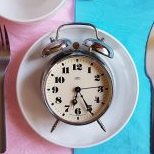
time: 6:25
